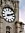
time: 2:11
